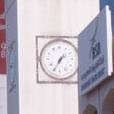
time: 1:35
